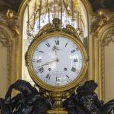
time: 11:41
